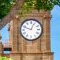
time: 12:48
